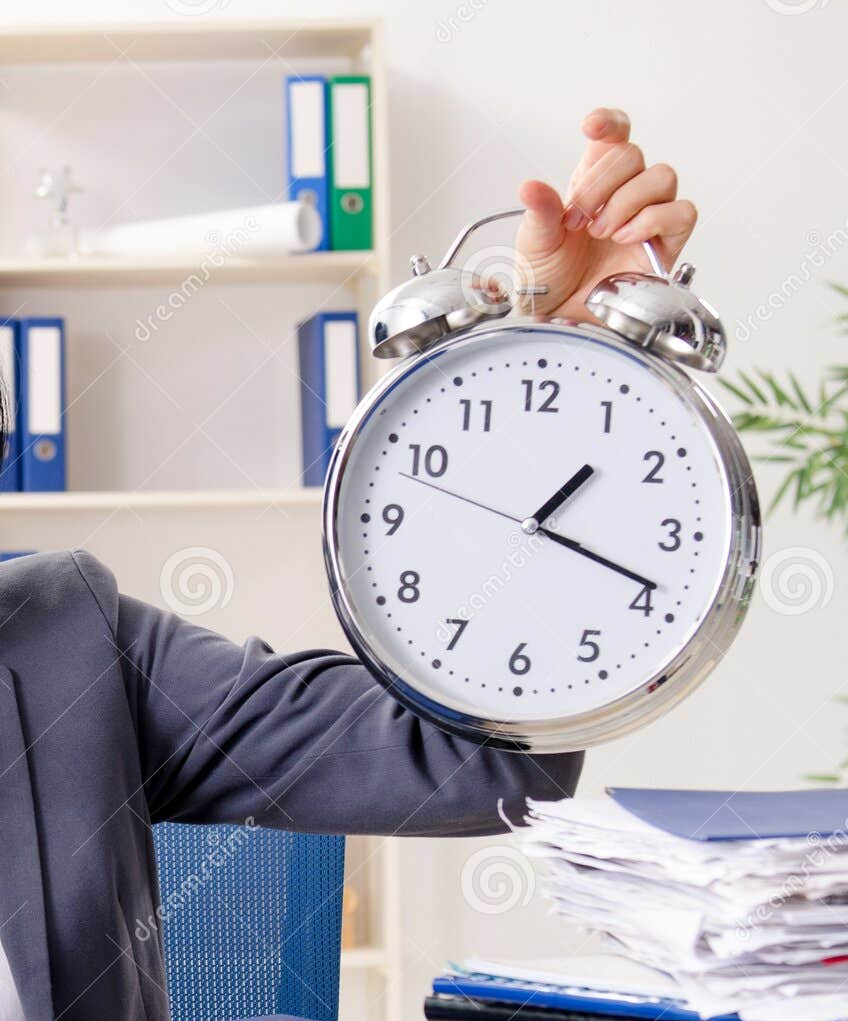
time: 1:18
